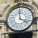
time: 3:58
